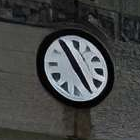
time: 4:54
